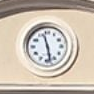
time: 11:28
